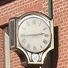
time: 2:43
